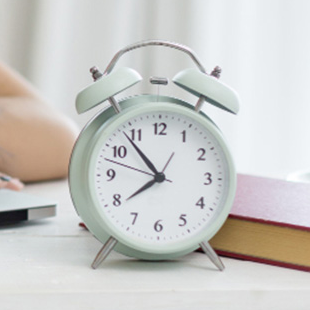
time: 7:53
